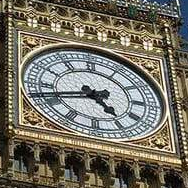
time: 4:42
